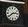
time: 2:39
